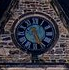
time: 5:26
